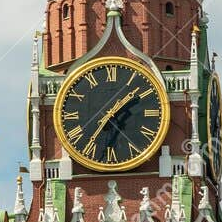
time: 1:36
